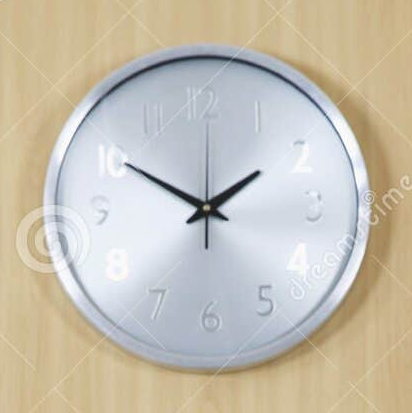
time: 1:50
